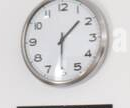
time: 1:30
